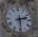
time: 2:29
